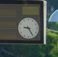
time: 9:24
